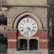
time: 4:32
